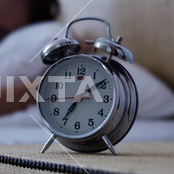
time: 7:08
